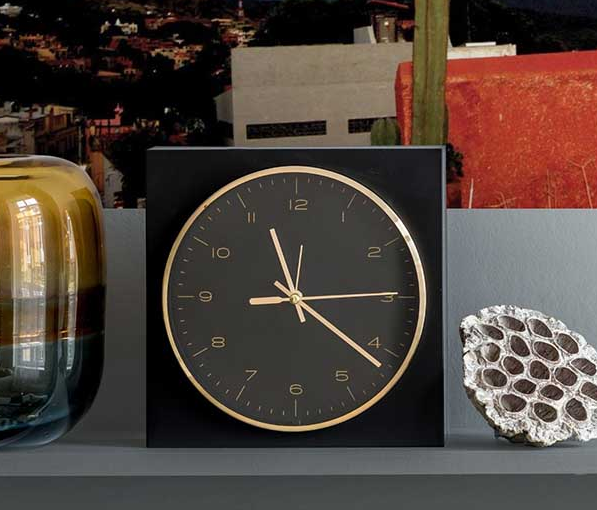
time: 11:21
